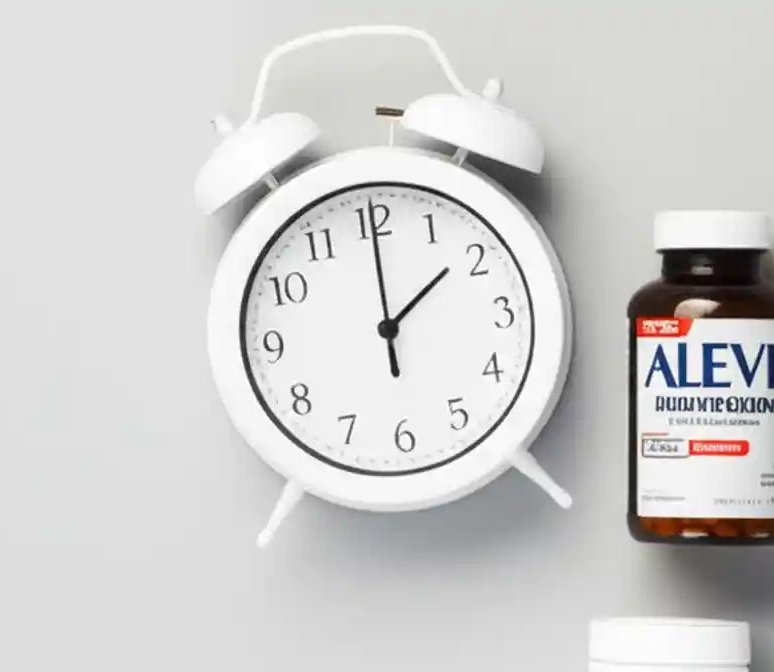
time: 2:00
